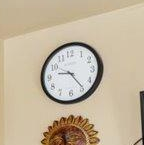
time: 9:23
